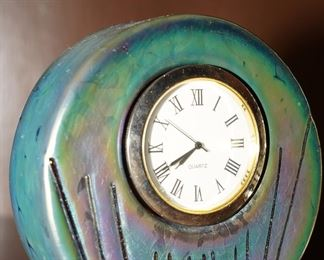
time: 7:40
